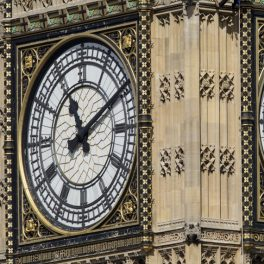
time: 11:09
